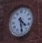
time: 4:28
